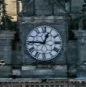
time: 12:45
